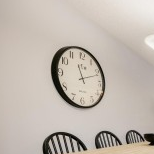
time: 11:11
